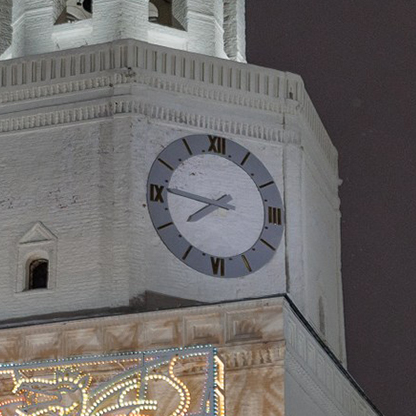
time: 7:46
